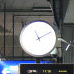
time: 11:10
